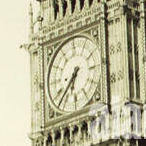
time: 6:37
